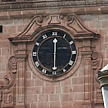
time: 6:00
